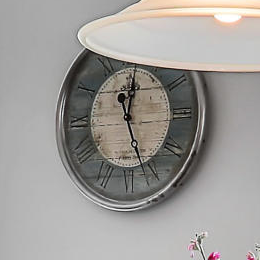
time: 12:26
